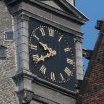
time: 9:38
